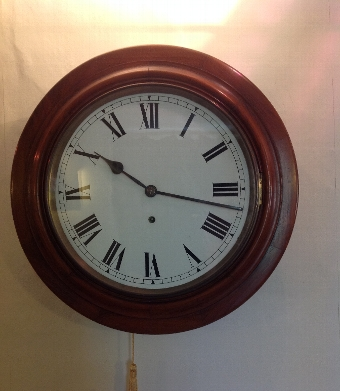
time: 10:17
